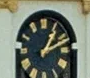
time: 1:11
